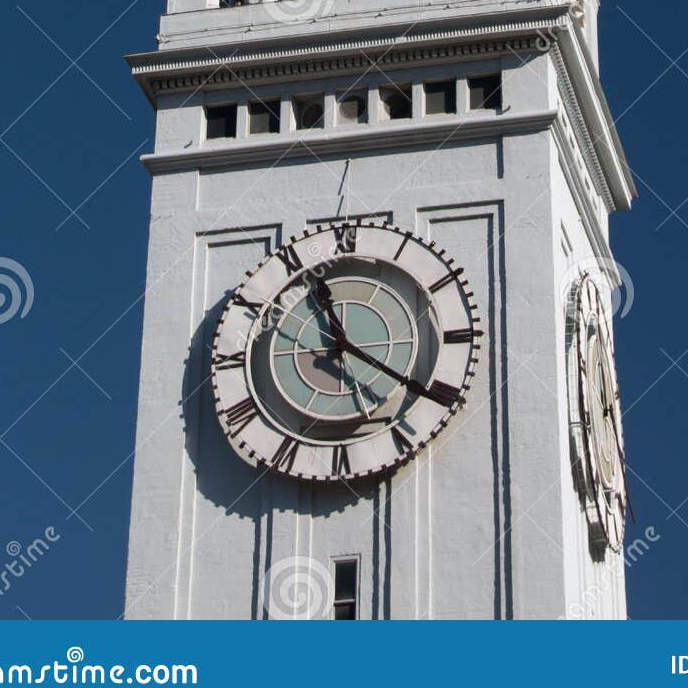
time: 11:20
